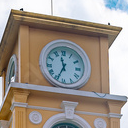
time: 11:34
